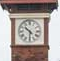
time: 10:30
